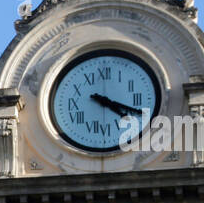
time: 4:18
